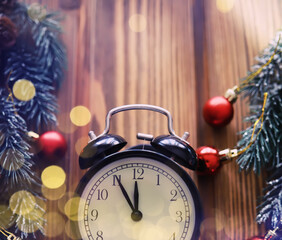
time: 11:55
